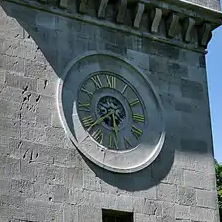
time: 5:38
